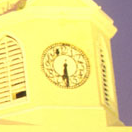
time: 6:30
